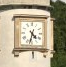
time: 4:32
